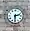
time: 2:30
